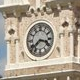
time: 3:38
